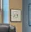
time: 4:42
